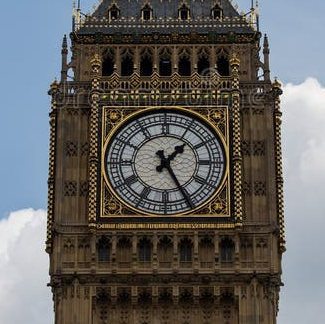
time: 1:25
